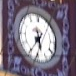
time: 5:35
